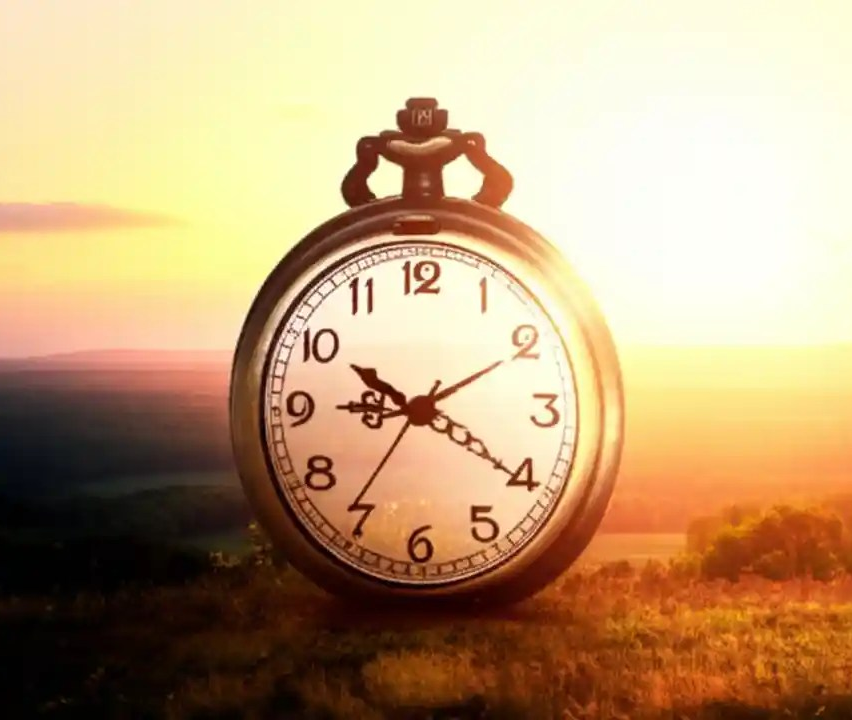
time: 9:20
